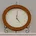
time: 5:01
